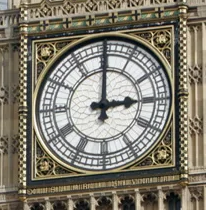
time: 3:00
